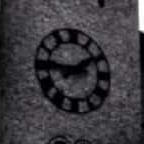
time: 1:46
